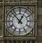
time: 12:52
